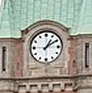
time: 1:09
